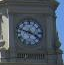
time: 3:48
